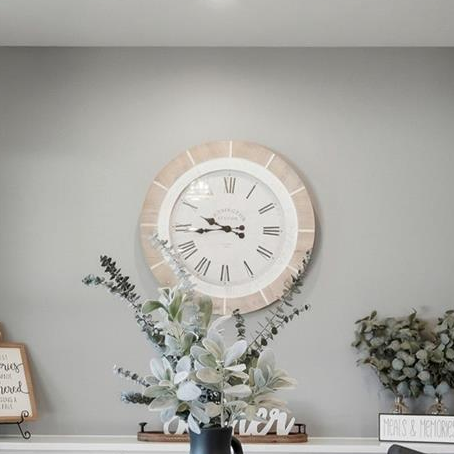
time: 9:43
